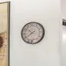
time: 10:39
